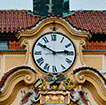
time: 2:50
